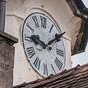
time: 9:09
